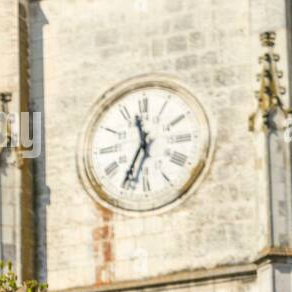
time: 11:35
